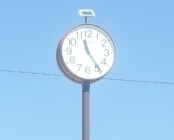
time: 11:24
